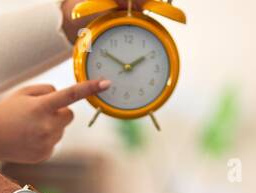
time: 1:50
